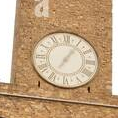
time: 7:06
